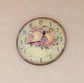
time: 12:43
